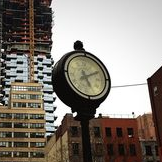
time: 5:10
